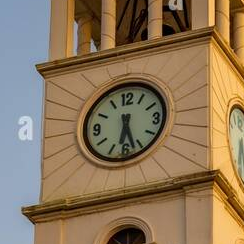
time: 6:27
